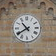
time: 10:39
